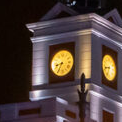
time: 8:35
